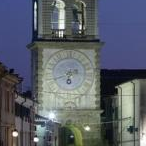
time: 6:41
